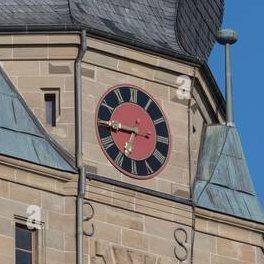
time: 6:44
